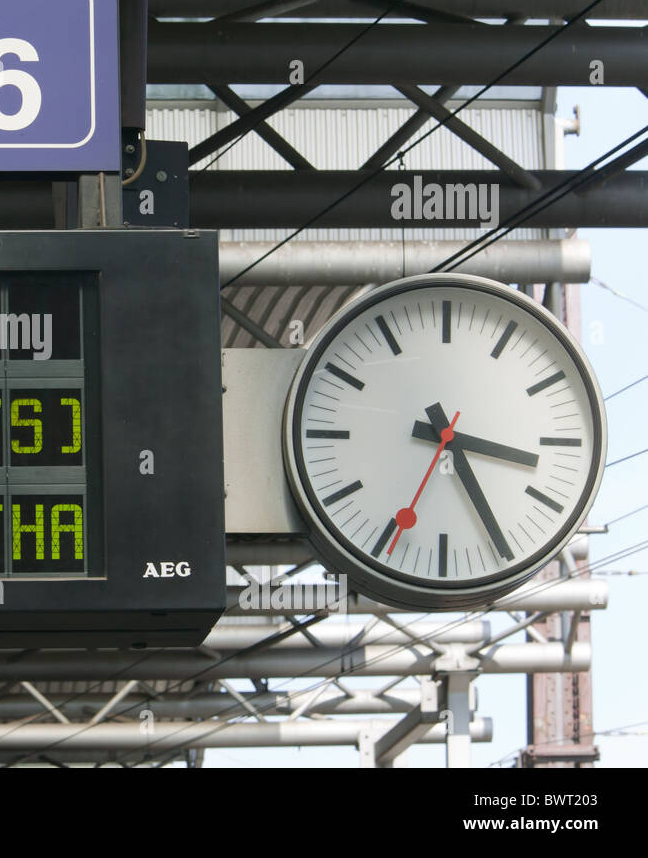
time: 3:25
